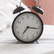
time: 7:16
